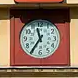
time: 11:35
